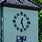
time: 12:26
